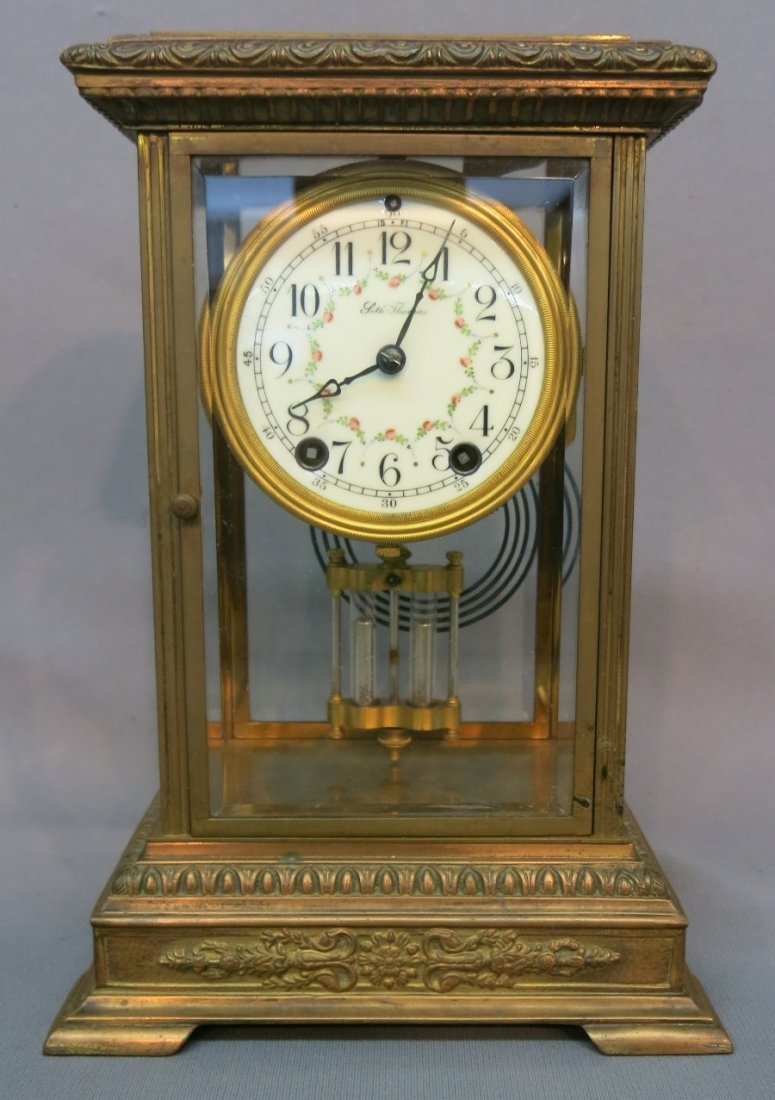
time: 8:04
